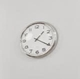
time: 1:20
